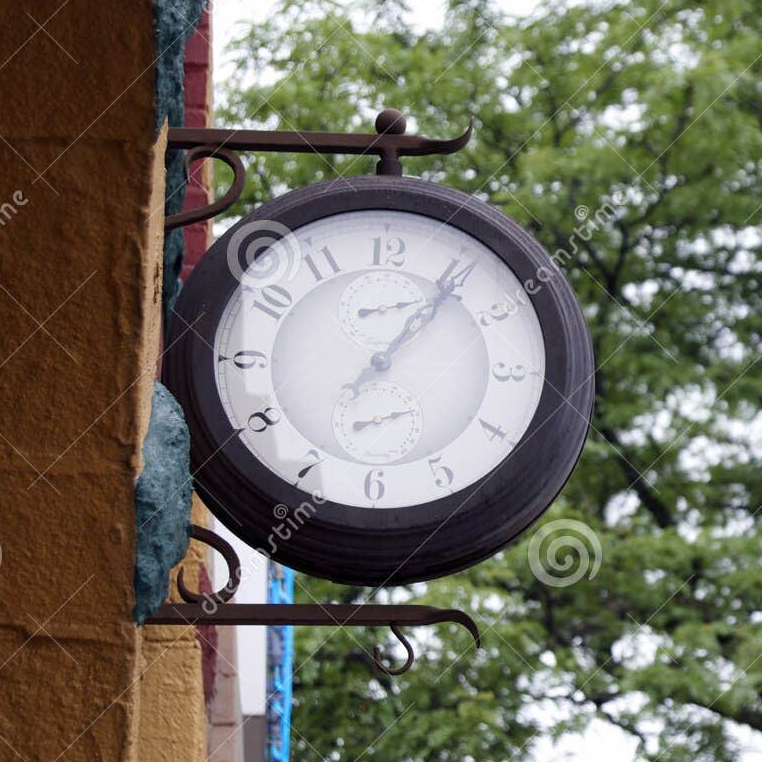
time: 7:06
